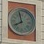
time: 7:57
